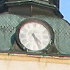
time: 4:25
